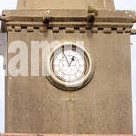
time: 12:55
